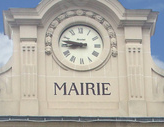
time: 8:46
